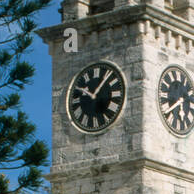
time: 10:06
